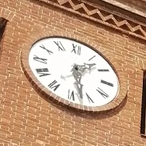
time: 1:27
